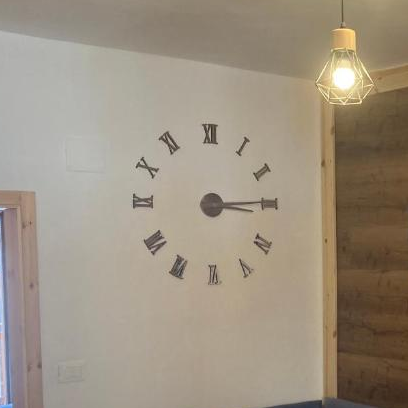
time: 3:14
